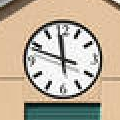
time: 11:48
